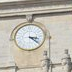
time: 3:21
